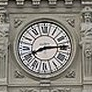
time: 8:14
